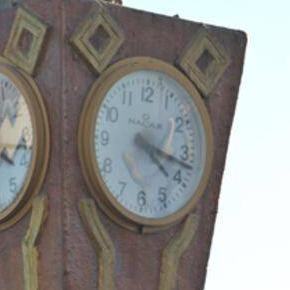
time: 4:17
